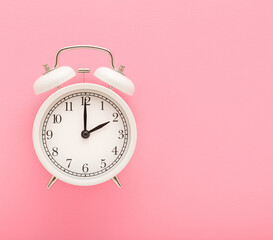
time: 2:00
